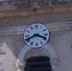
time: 3:41
